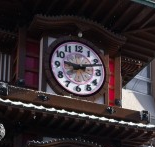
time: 9:11
